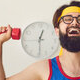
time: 12:29
